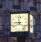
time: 8:58
